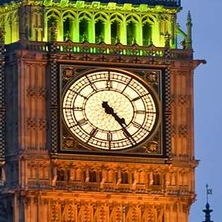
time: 4:24
